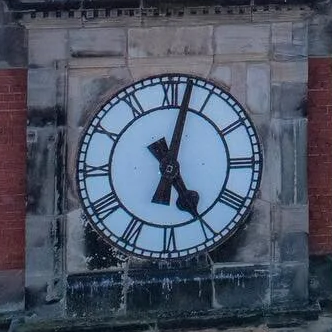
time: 5:02
